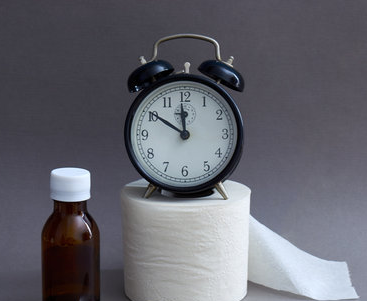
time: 11:50
